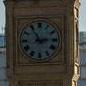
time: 2:54
